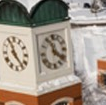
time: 11:21
